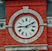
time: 9:09
